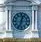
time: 12:33
